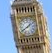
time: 1:39
